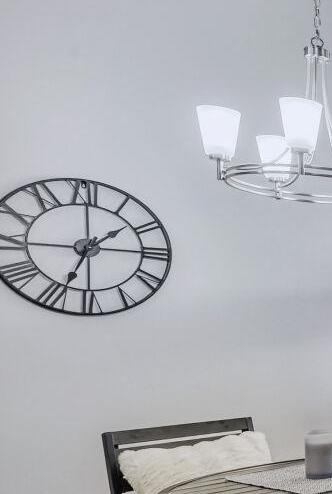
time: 1:33
